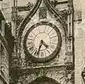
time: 4:33
